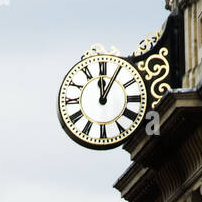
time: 12:04
